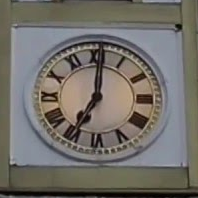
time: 7:00
